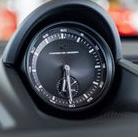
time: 6:29
